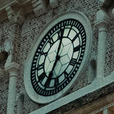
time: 7:01
